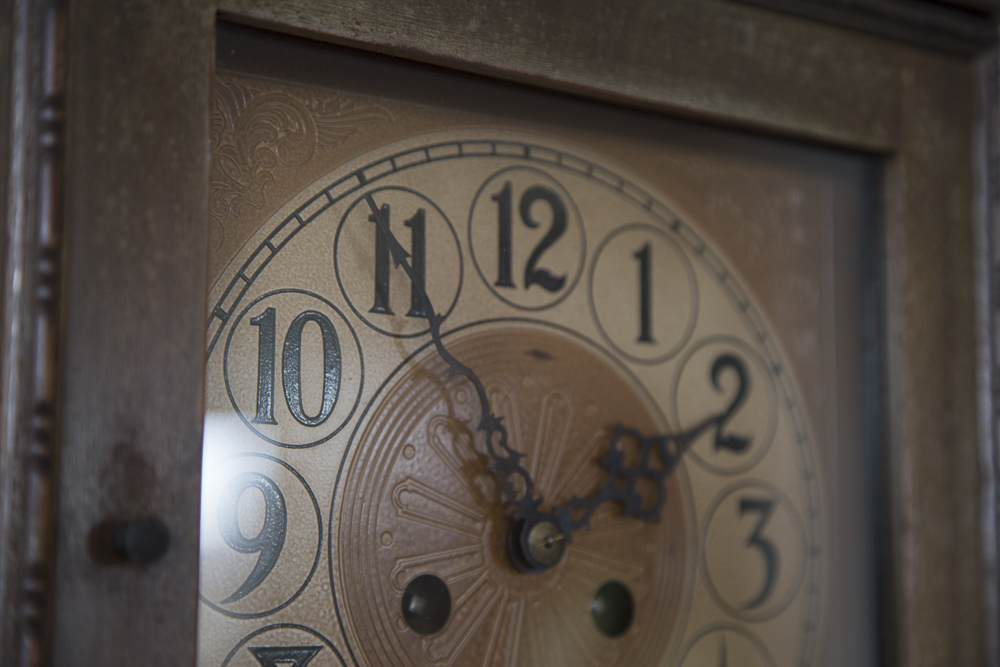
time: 1:55
